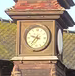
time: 9:36
